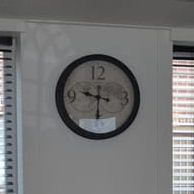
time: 9:30
